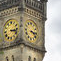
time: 3:22
